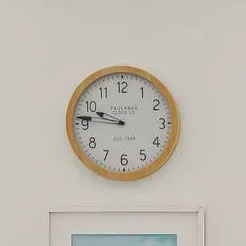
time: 9:46
